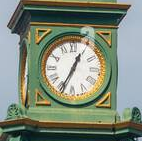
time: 12:34
